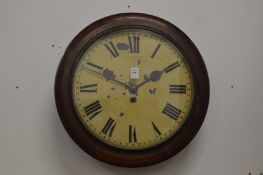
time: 1:49
